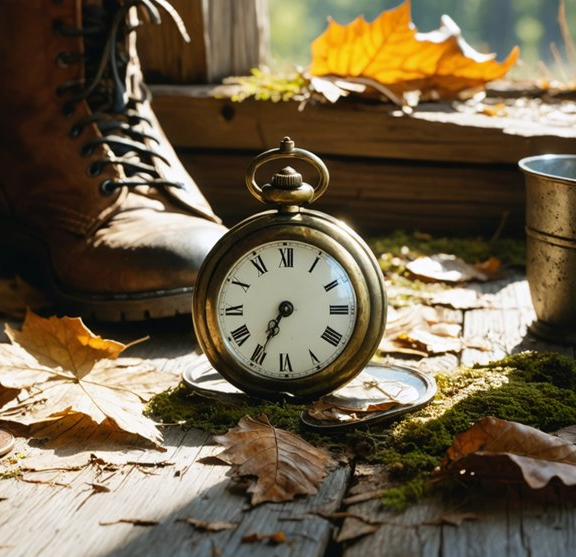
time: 6:34
